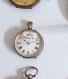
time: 10:12
